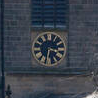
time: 3:32
